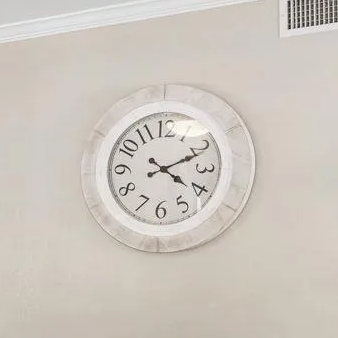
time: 4:11
